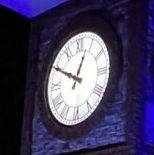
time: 12:49
